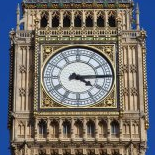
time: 4:14
